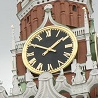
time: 1:49
